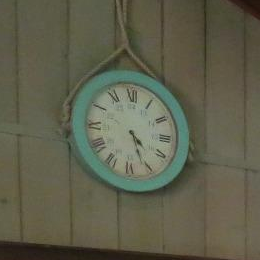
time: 4:26
